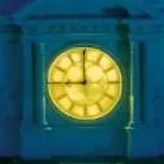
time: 8:59
